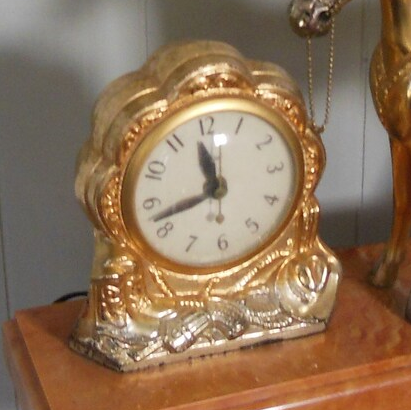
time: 11:42
